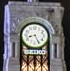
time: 8:25
